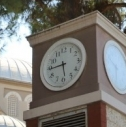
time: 5:44
